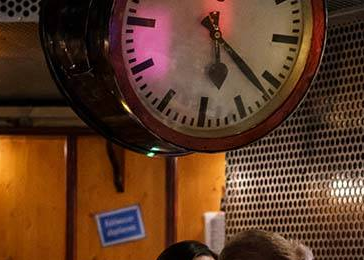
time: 5:21
